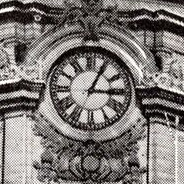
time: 3:04
